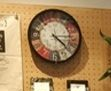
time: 4:14
